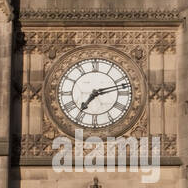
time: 7:12
